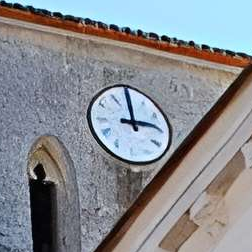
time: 2:59
